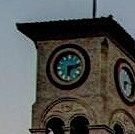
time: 6:13
